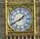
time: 1:40
